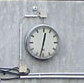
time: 12:32
